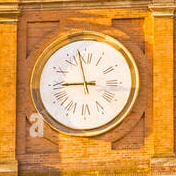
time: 8:57
